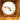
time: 4:46
